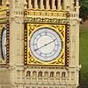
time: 8:10
